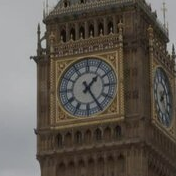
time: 1:24
